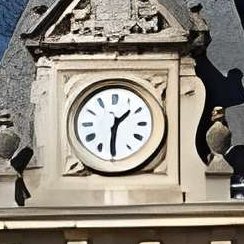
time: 1:30
